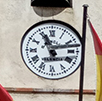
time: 11:12
